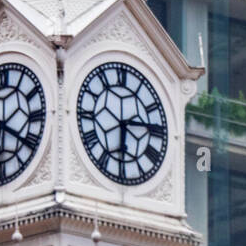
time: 6:14
